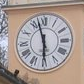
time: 5:57
